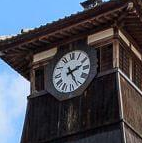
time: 2:25
